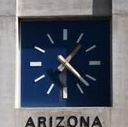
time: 1:22
